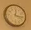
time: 12:16
